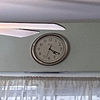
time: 4:19
